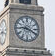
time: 9:18
